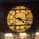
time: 4:16
